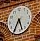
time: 5:35
